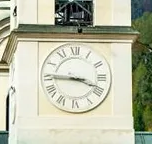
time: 3:45
